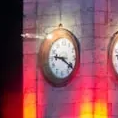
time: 9:20
